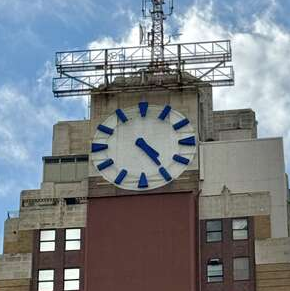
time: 4:23
